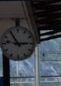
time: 2:54
